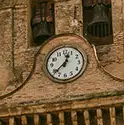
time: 12:37
